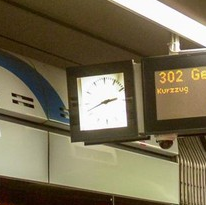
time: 2:42
